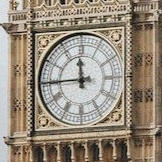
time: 11:44
